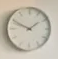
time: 1:49
